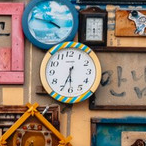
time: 6:34
